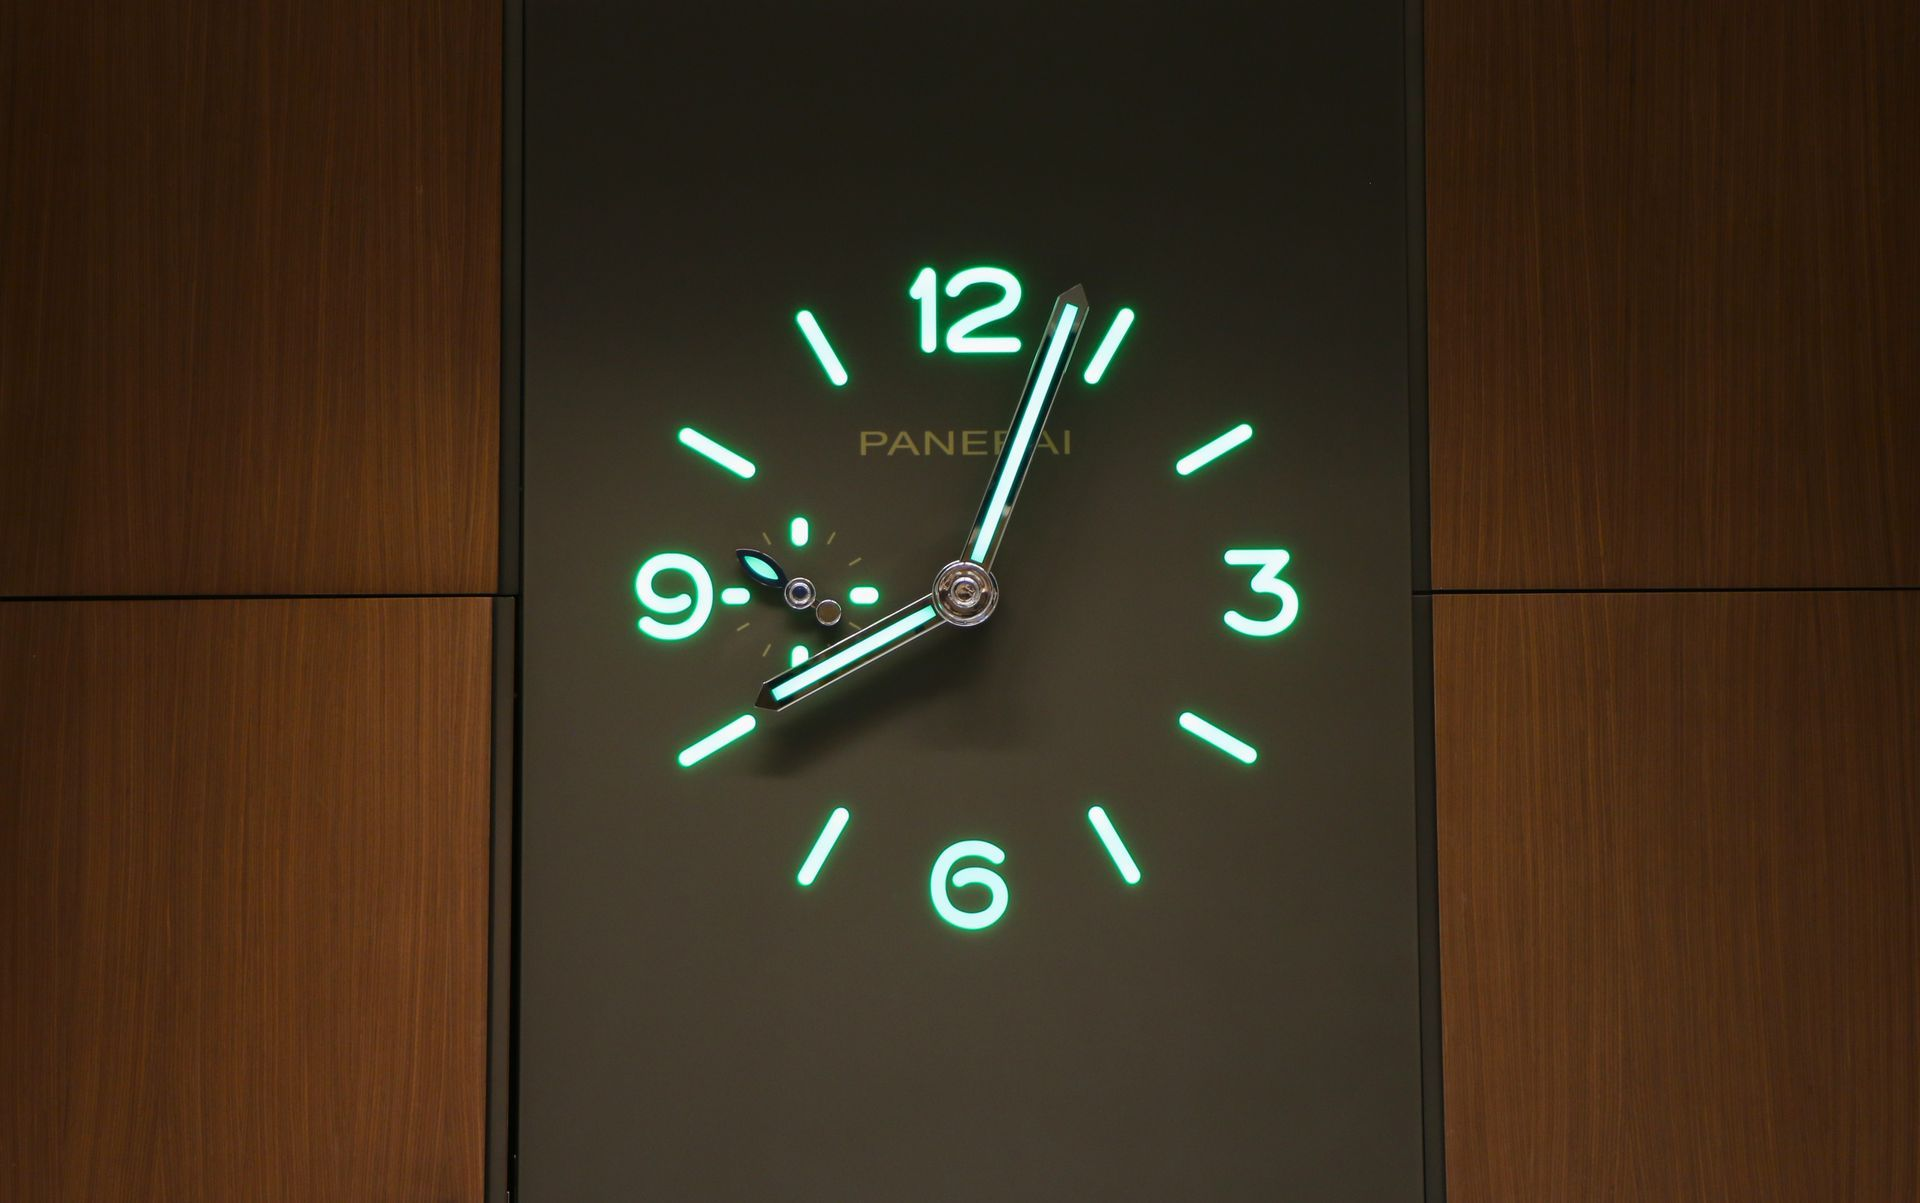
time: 8:03
